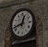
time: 12:42
